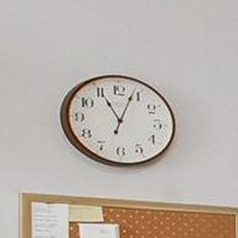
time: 11:03
